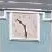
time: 10:28
